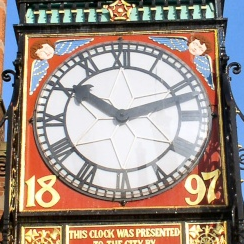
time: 10:12
